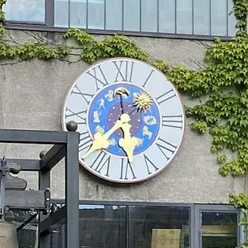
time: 5:37
